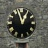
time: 12:57
